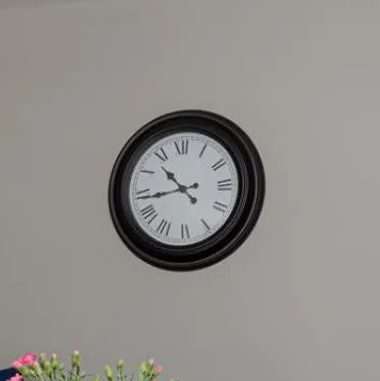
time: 10:43
